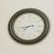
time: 7:43
